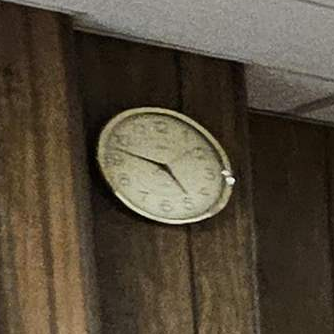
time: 4:47
